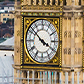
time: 3:51
